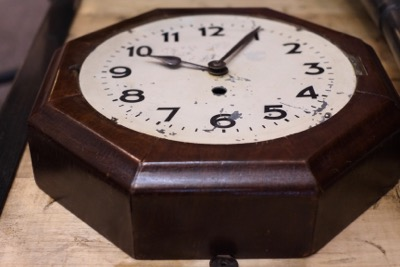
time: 10:05
